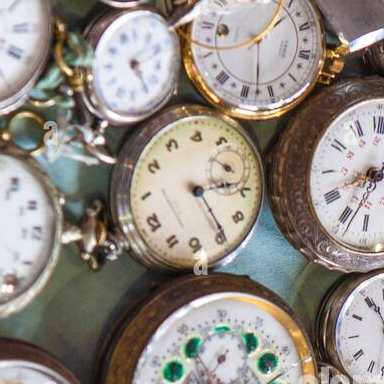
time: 3:24
